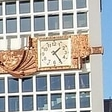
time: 1:24
